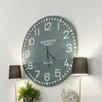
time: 4:28
